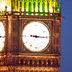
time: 3:15
